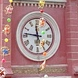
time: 11:46
